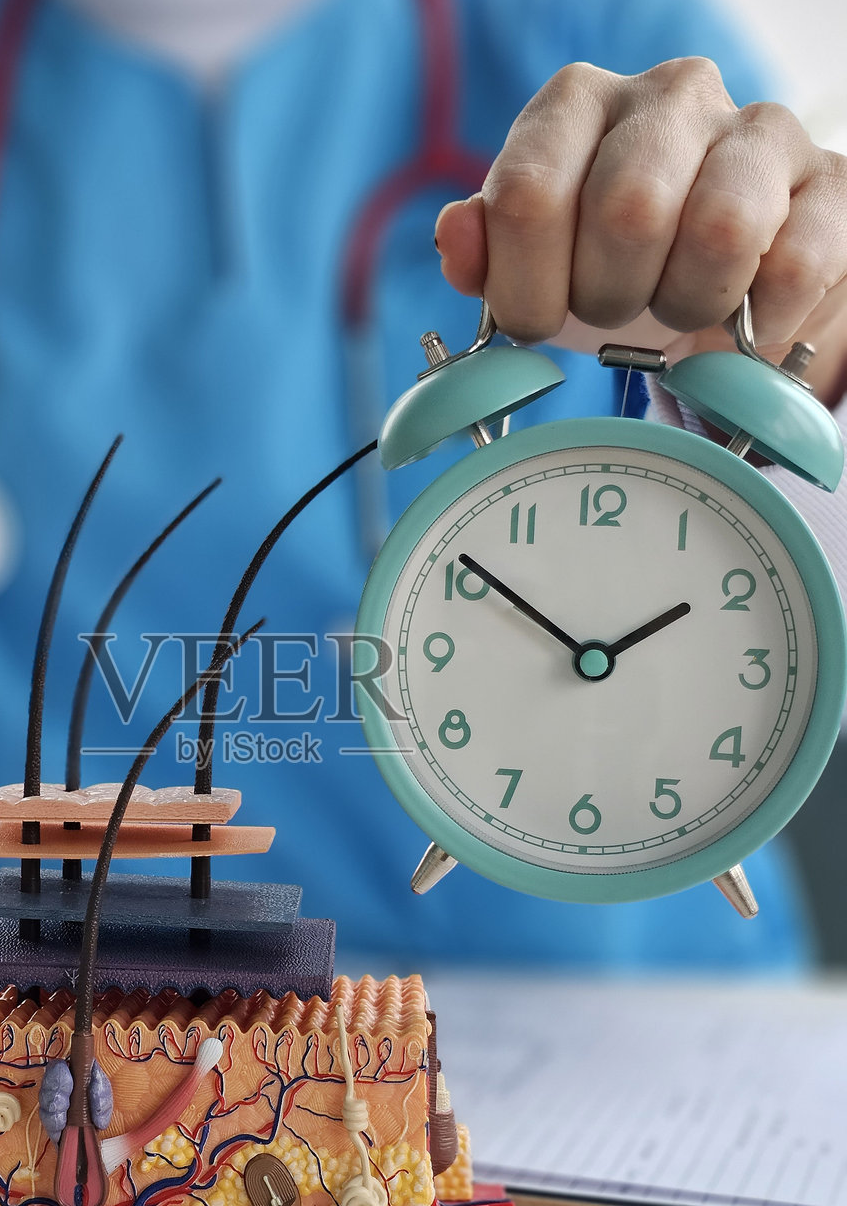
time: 1:50
